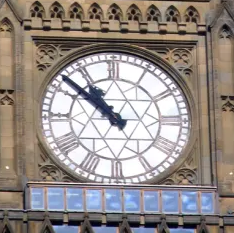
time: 10:51
